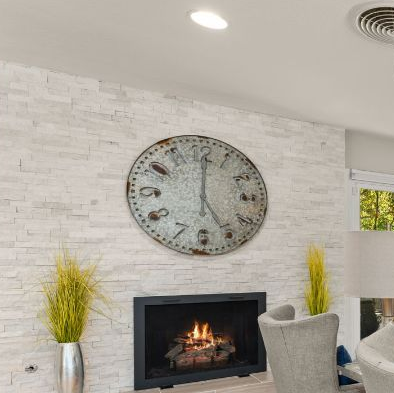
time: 5:00
